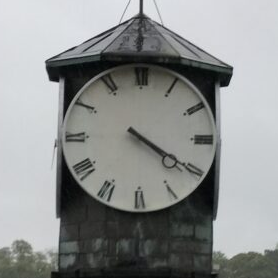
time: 4:20
